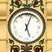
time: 5:03
